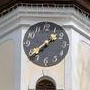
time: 1:38
